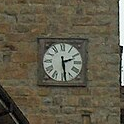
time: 2:28
